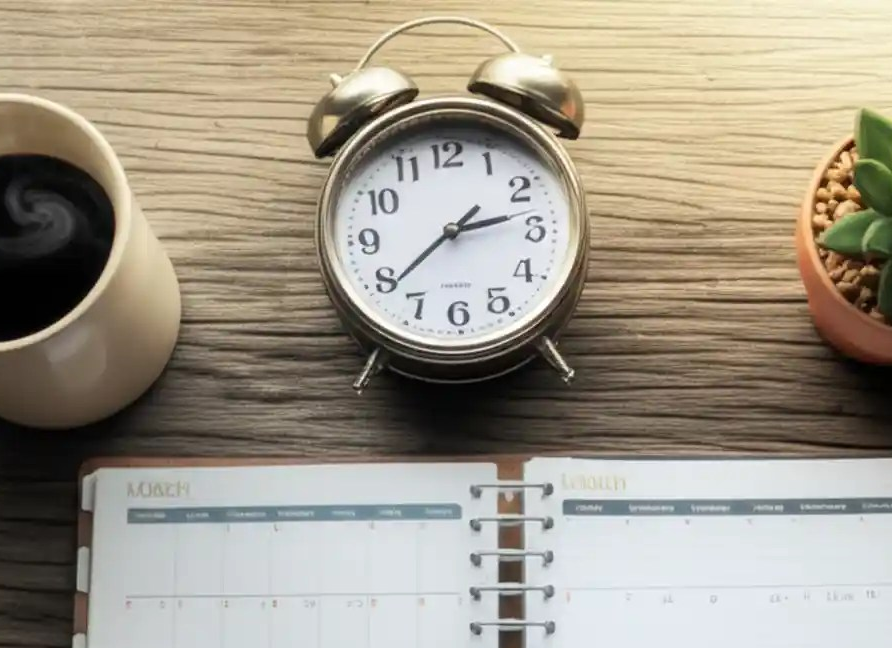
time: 2:38
